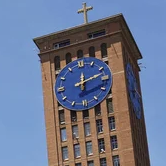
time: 12:12
